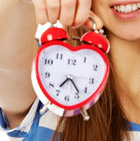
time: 7:23
